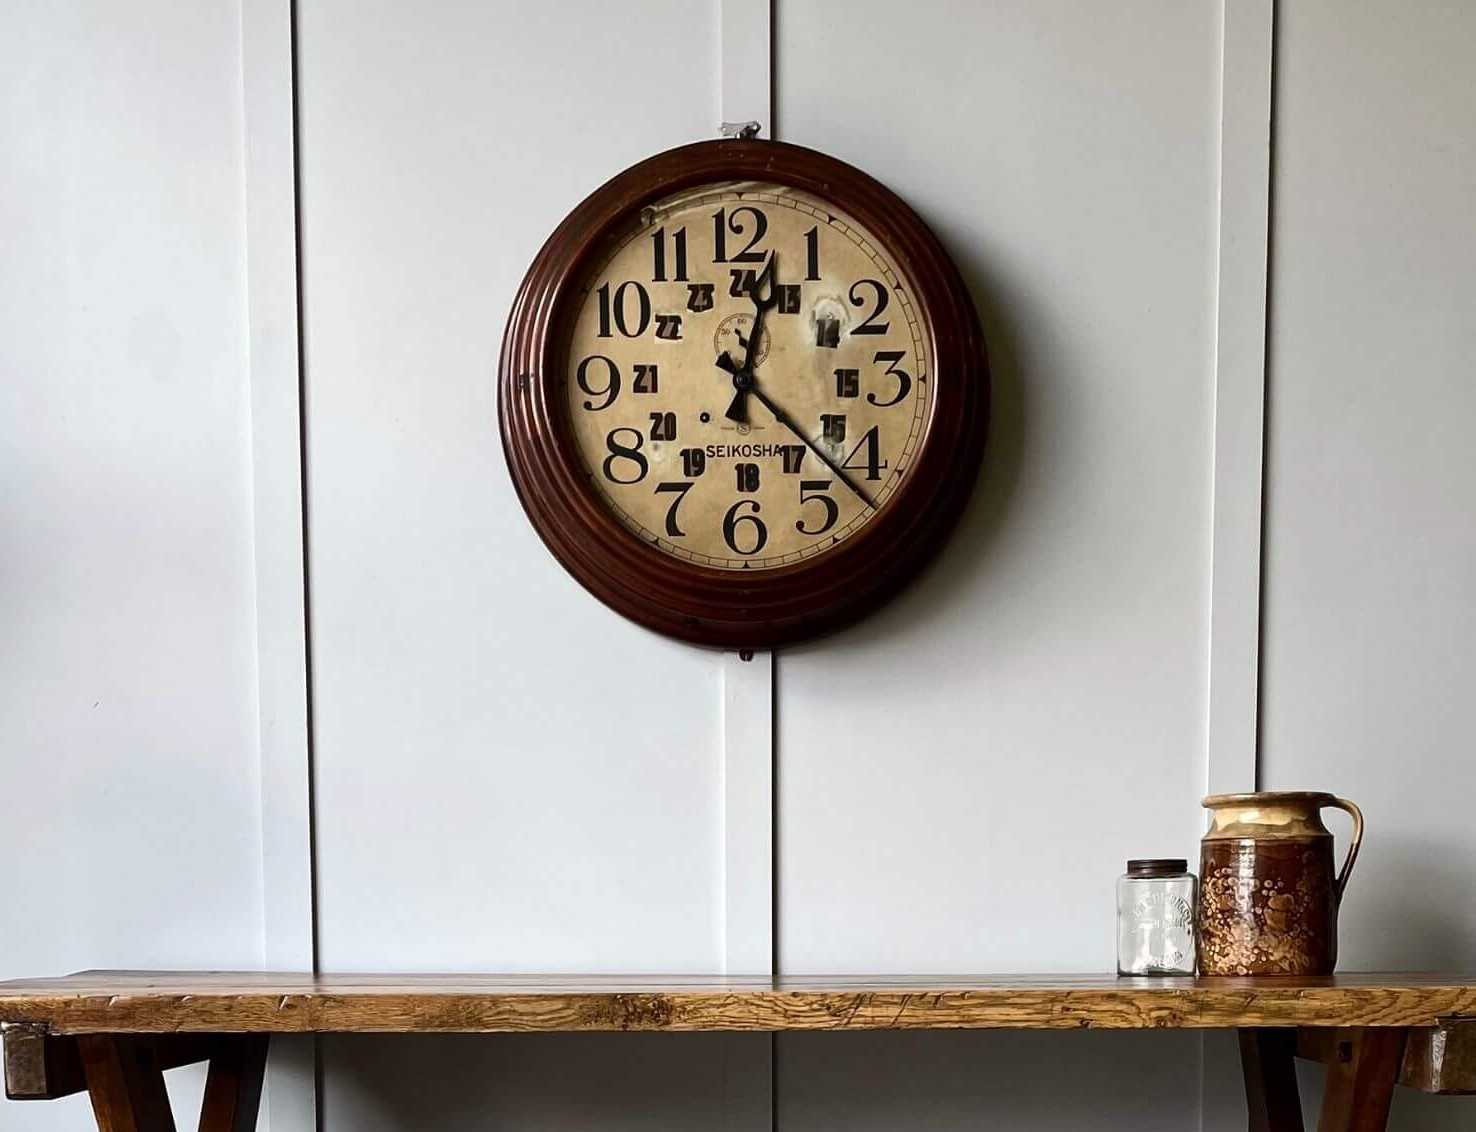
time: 12:22
